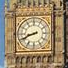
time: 8:41
